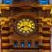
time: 8:18
